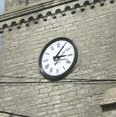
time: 3:05
